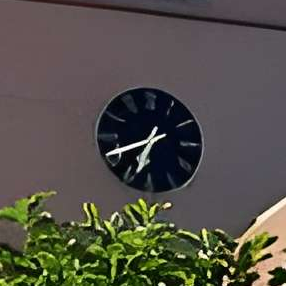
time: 6:41
